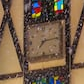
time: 7:13
